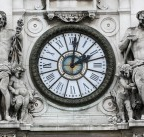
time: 2:01
